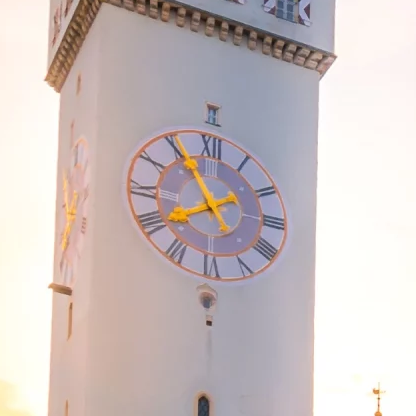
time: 7:54
